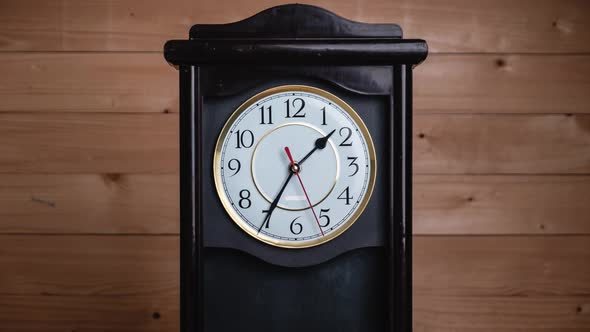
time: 1:34
